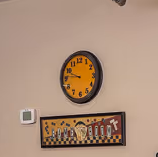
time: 9:45
